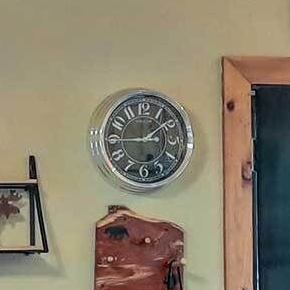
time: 1:44
